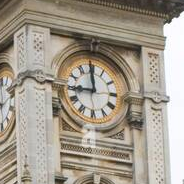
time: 8:59
